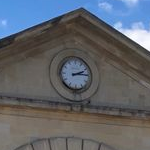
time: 2:14
